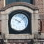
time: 10:07
